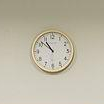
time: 10:51
